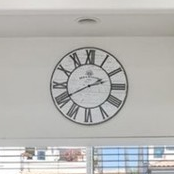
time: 2:40
